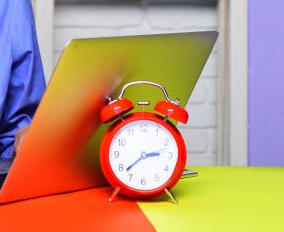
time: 2:38
